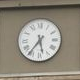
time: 5:36
